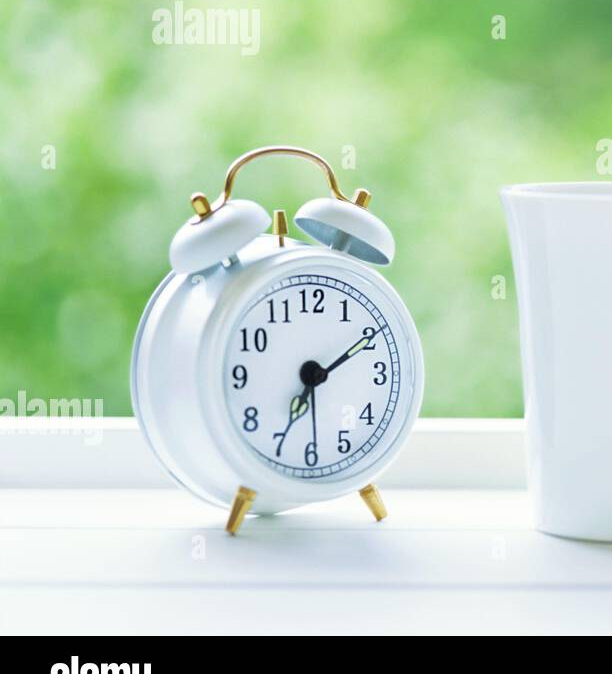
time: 7:10
